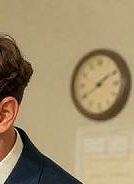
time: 1:39
